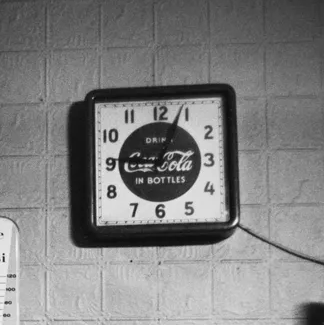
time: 9:03
